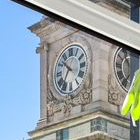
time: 10:34
